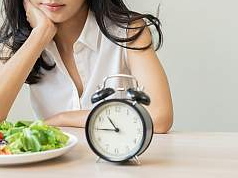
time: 10:45
